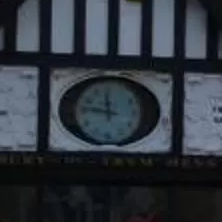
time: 11:46
